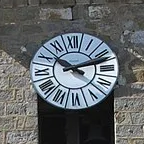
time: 10:12
